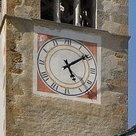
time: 5:09
